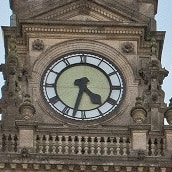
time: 4:32
